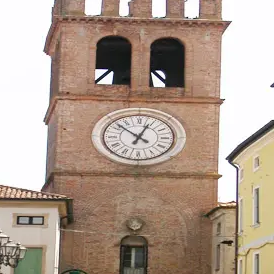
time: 12:52
